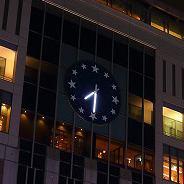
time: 7:30
